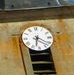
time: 6:21
